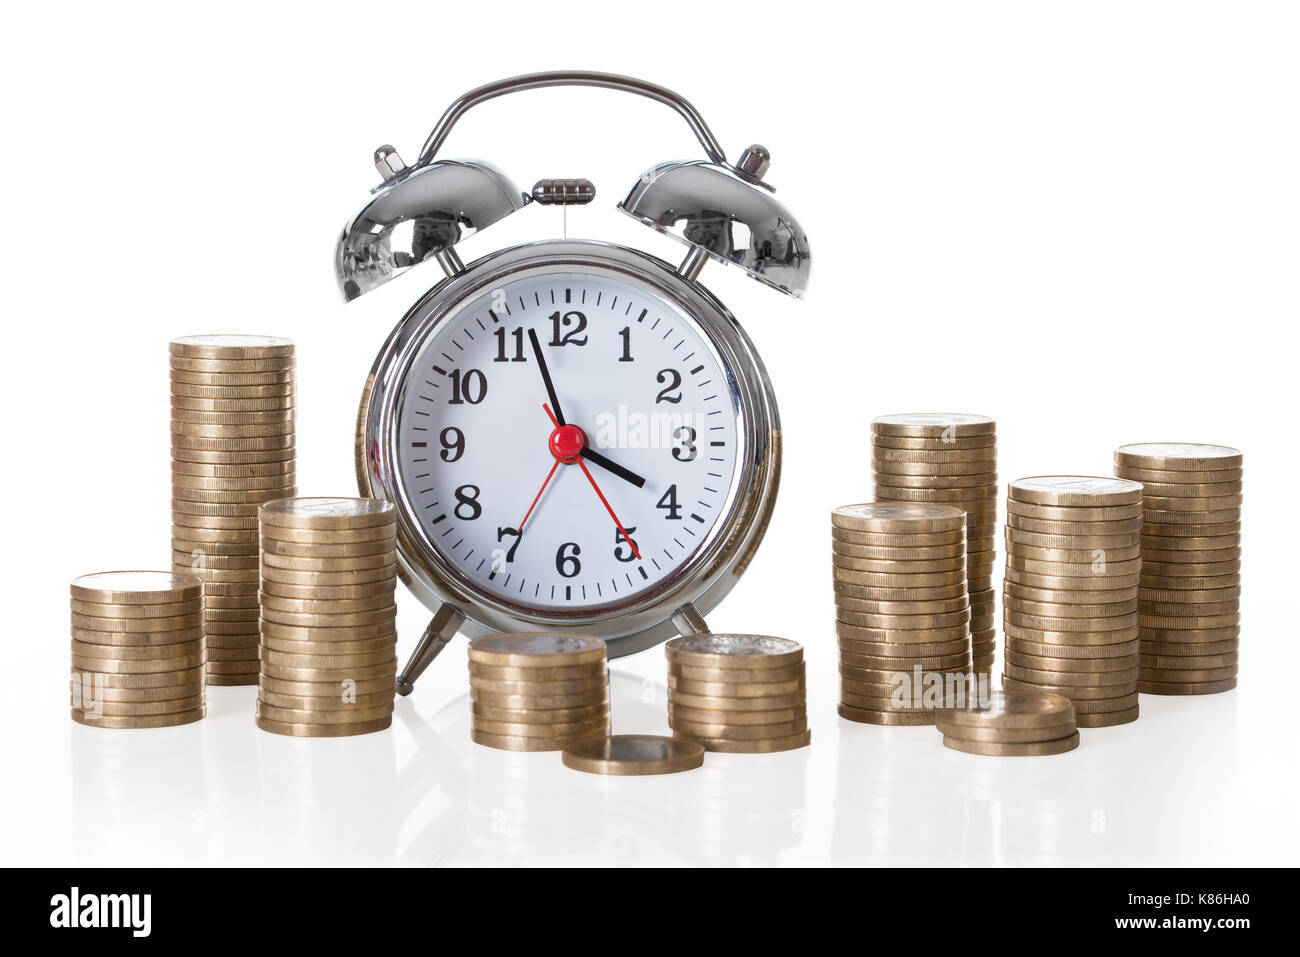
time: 3:57
